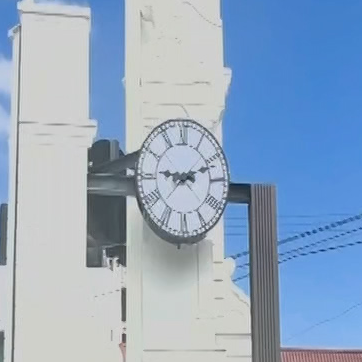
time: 9:11
